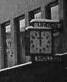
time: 5:59
